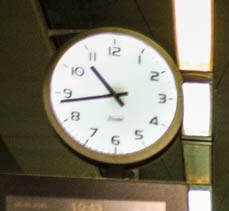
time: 10:43
